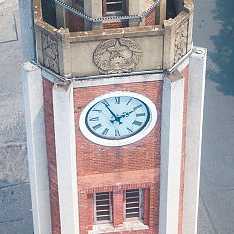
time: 1:54
